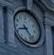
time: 8:23
